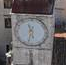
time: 11:32
